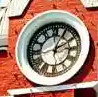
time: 2:04
